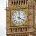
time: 4:01
